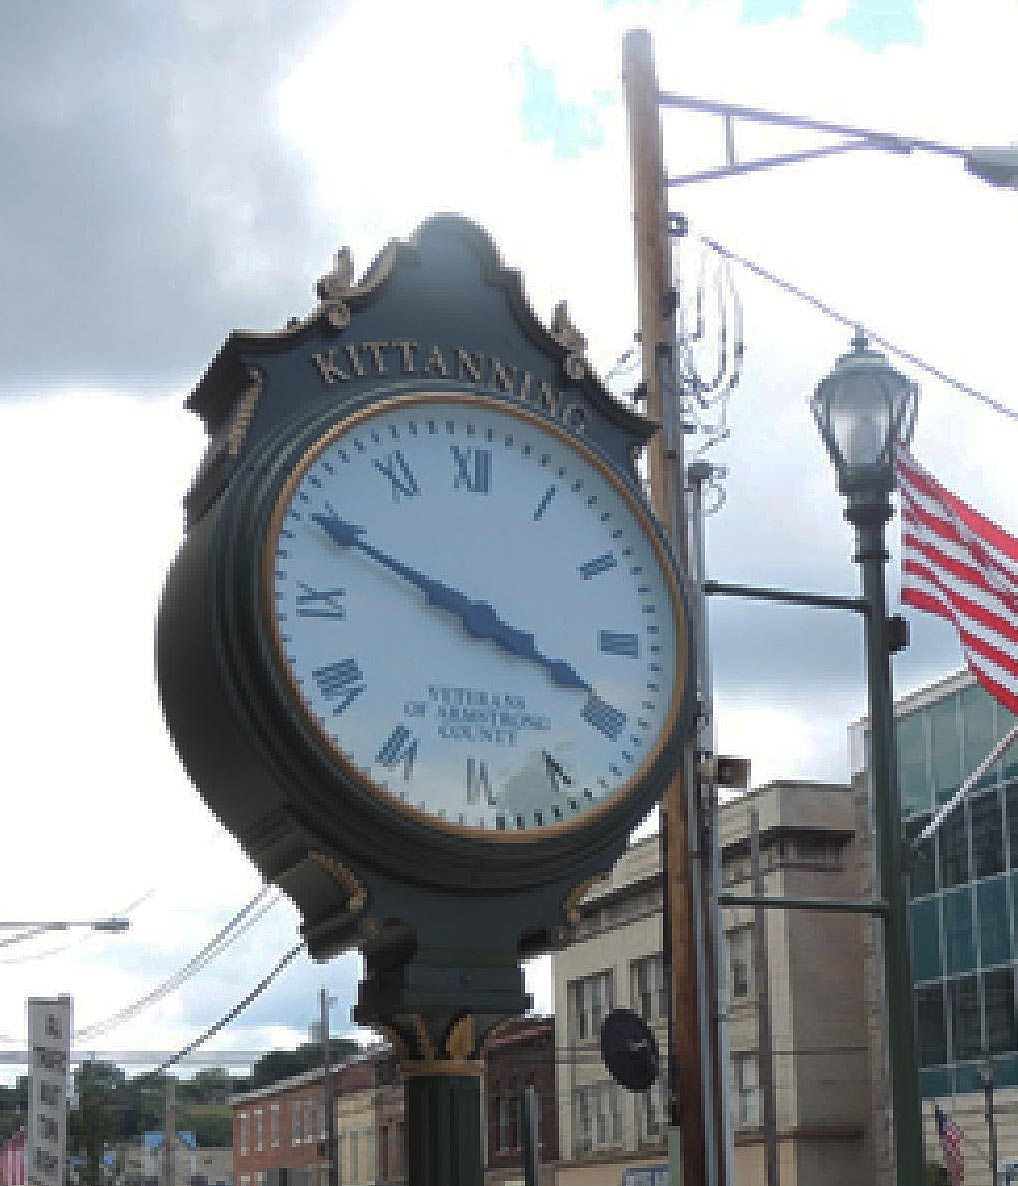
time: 3:49
